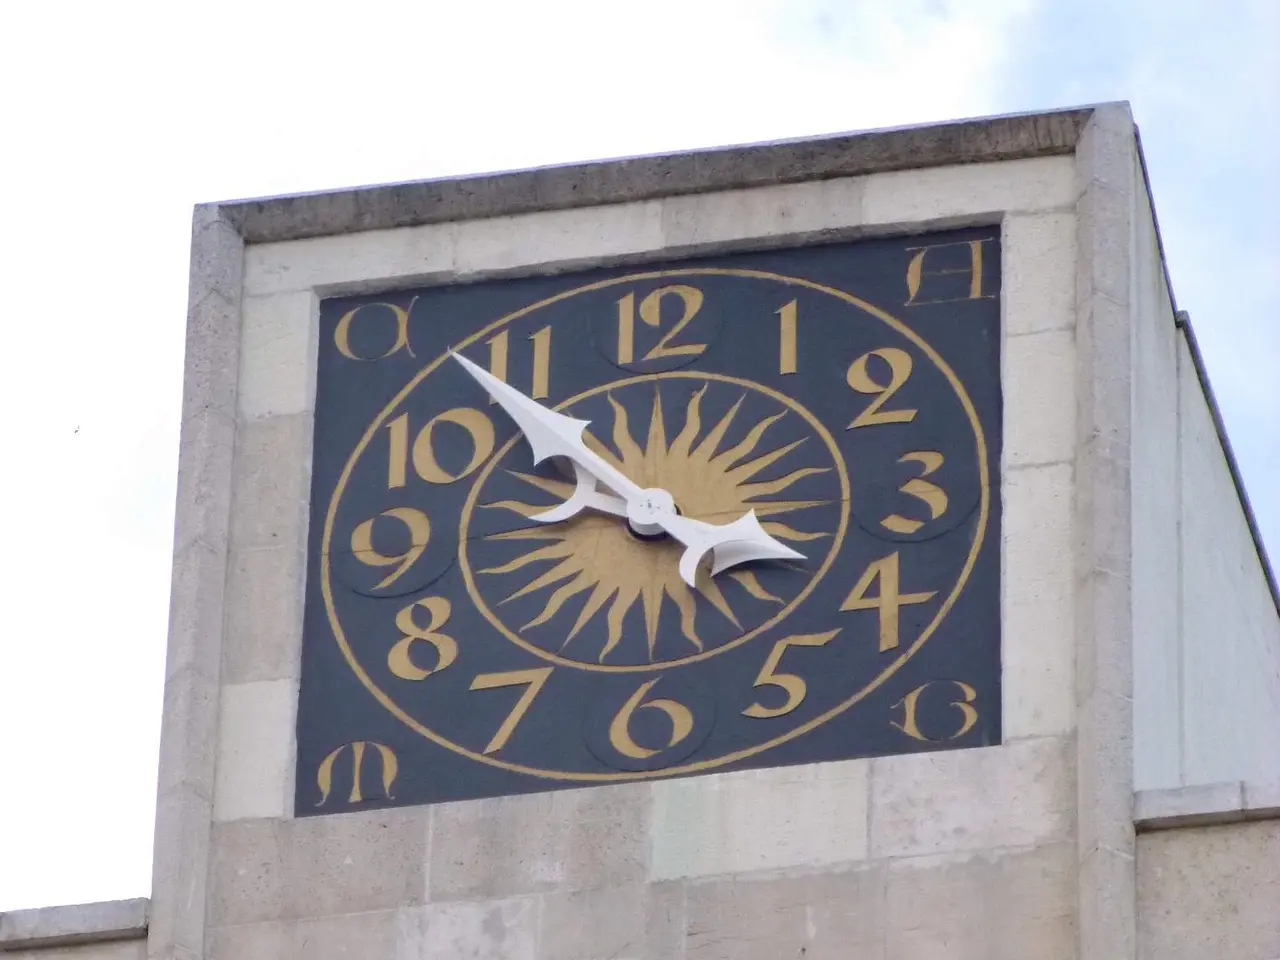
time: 3:53
